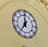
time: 6:59
